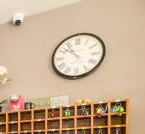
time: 10:51
